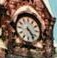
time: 4:23
